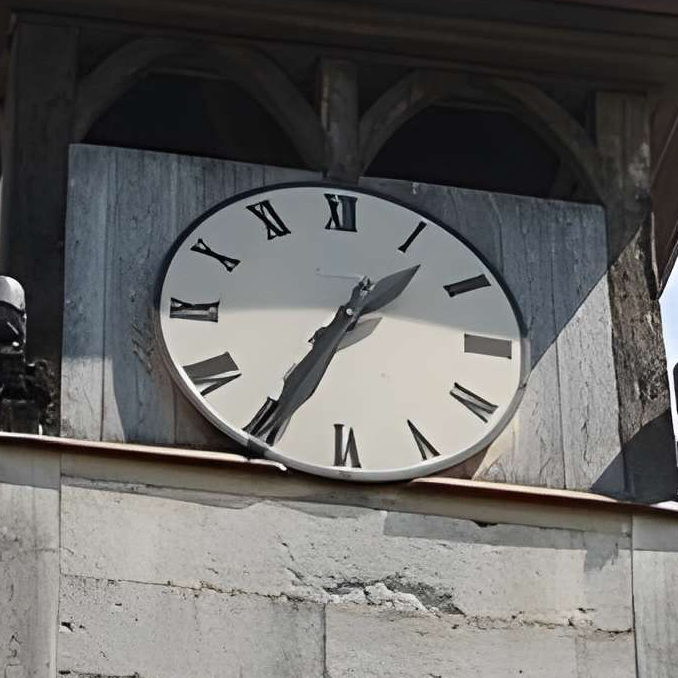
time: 1:34
